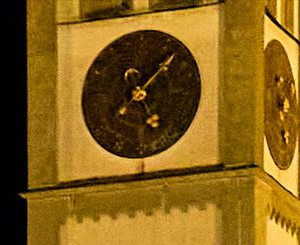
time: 5:07
